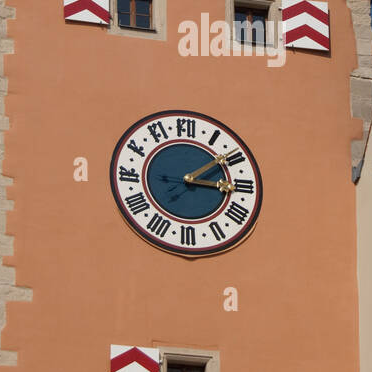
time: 3:09
